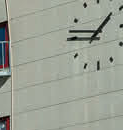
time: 1:46
